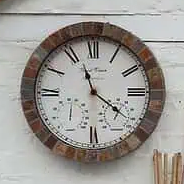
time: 11:21
